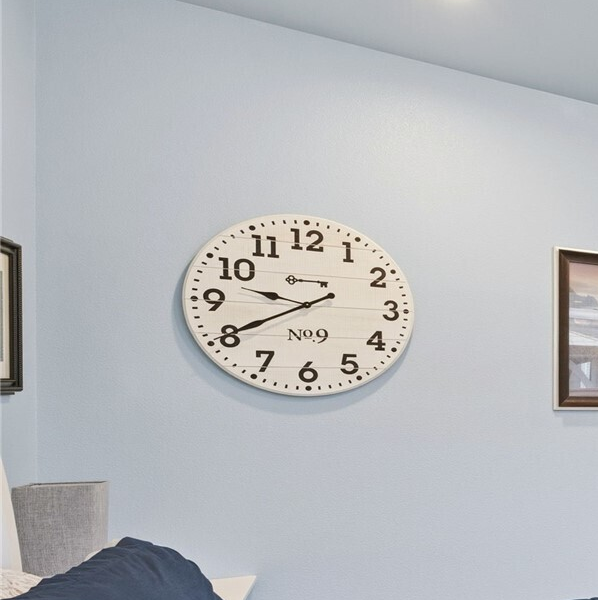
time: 9:40
